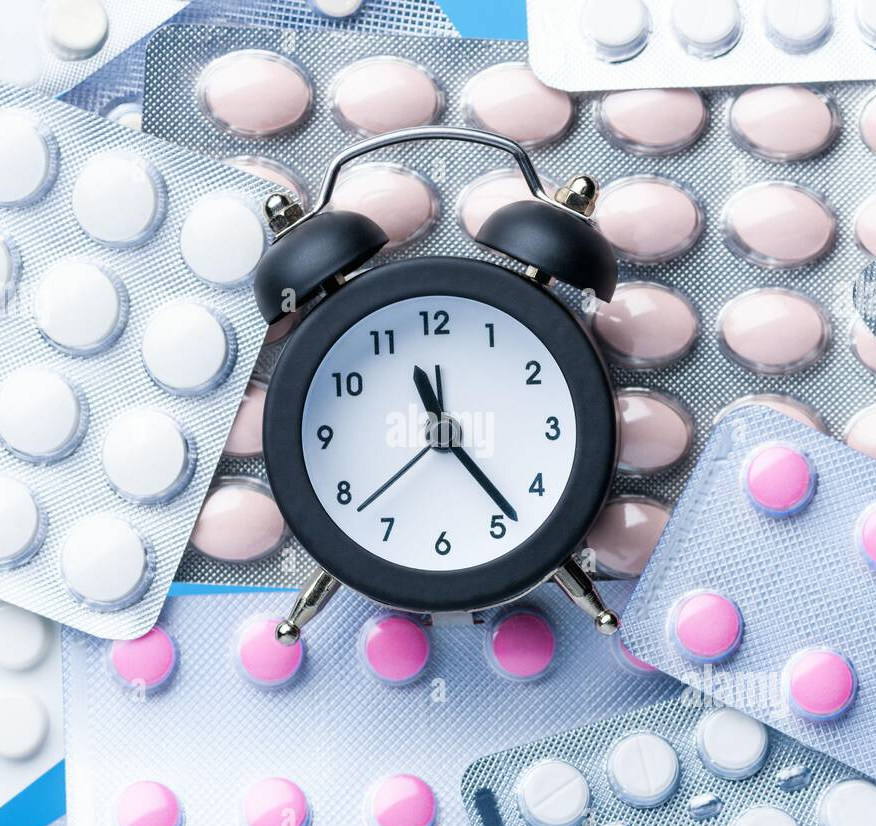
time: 11:23
